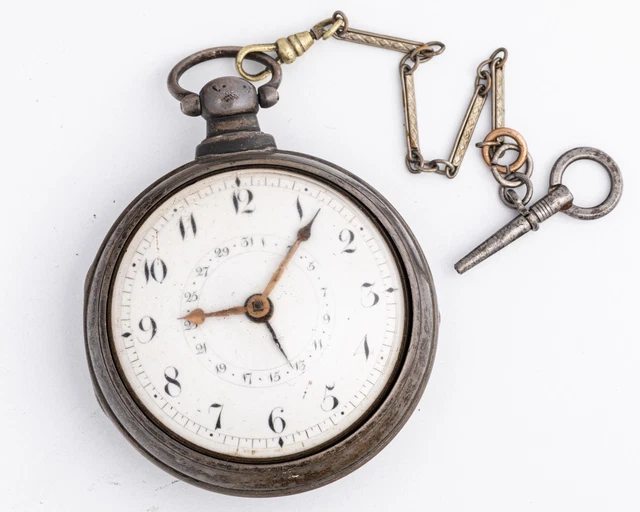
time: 9:06
